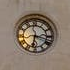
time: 6:17
